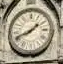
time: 1:41
